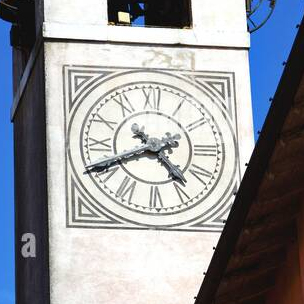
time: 4:41
